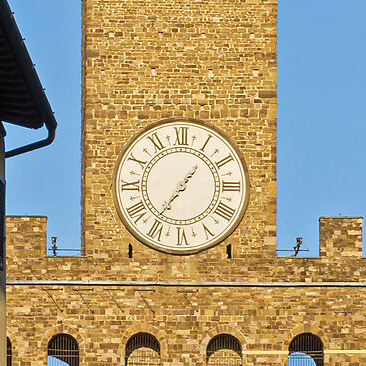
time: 1:36
